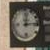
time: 12:14
